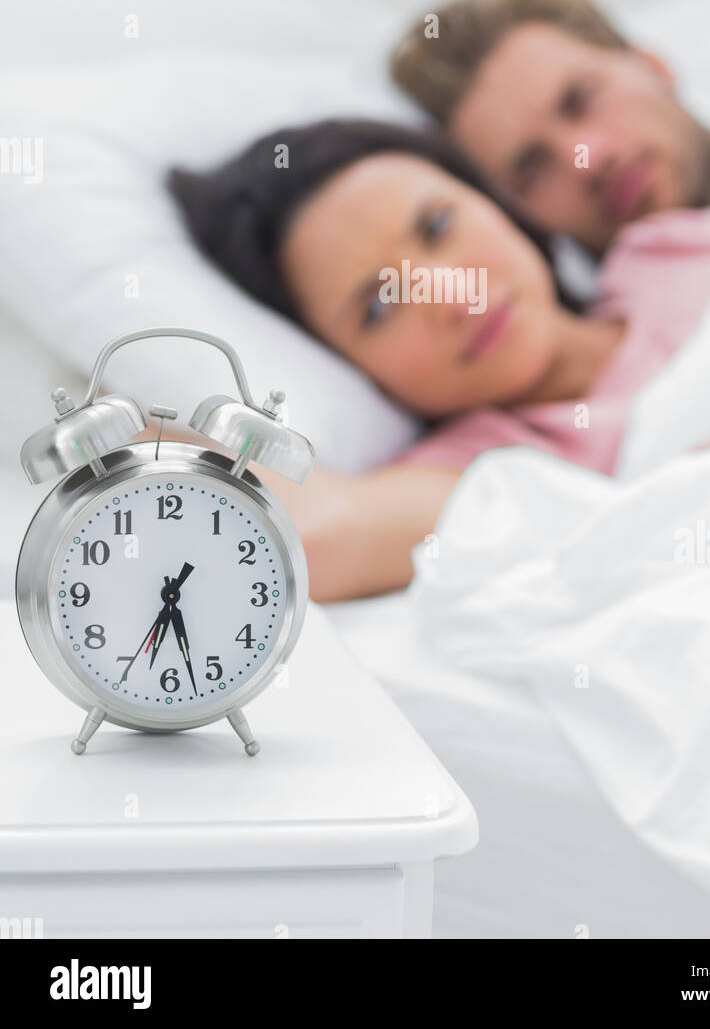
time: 6:27
